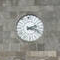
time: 2:18
